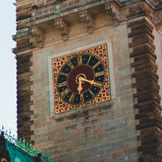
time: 6:19
